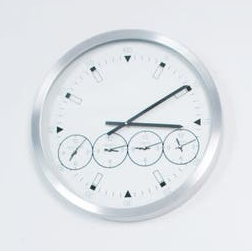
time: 3:09
